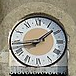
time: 1:43
